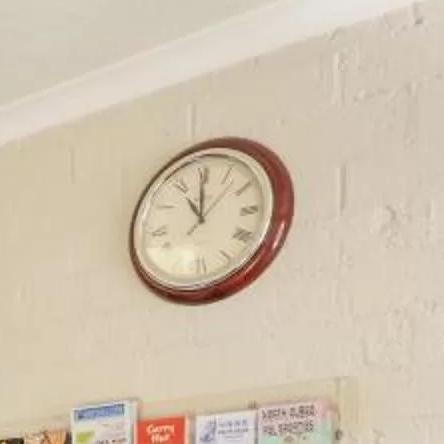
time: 11:00
